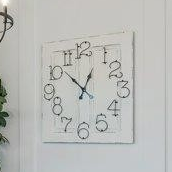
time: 12:51
